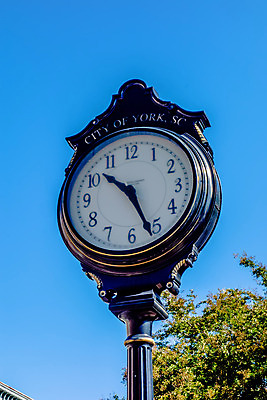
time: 10:26
